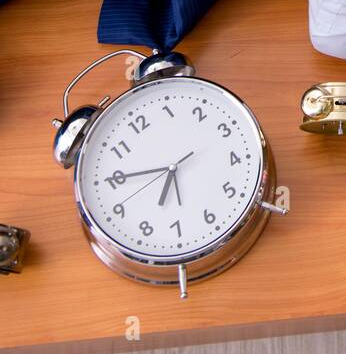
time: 6:45
